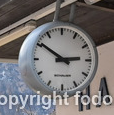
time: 2:50
